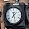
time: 7:28
